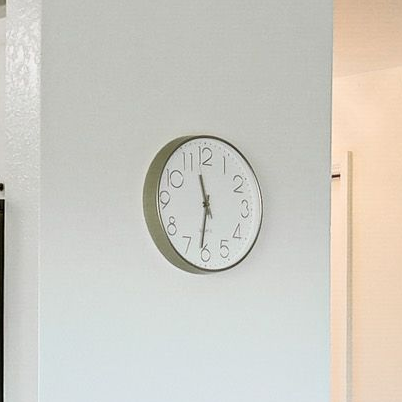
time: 11:31
